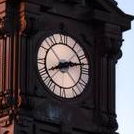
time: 8:12
